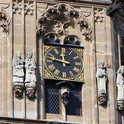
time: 11:47
